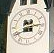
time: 2:40
